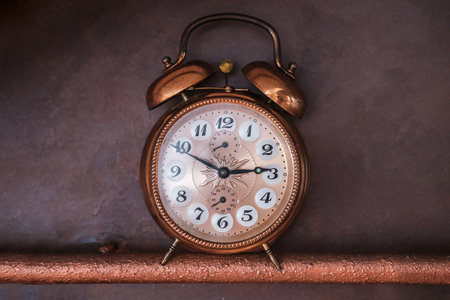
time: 2:49
